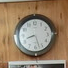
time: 8:27
